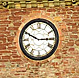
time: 2:49
